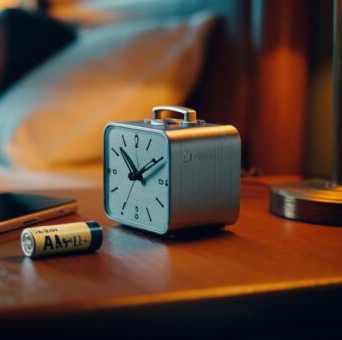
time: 1:52
